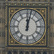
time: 12:02
